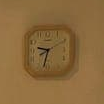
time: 9:33
